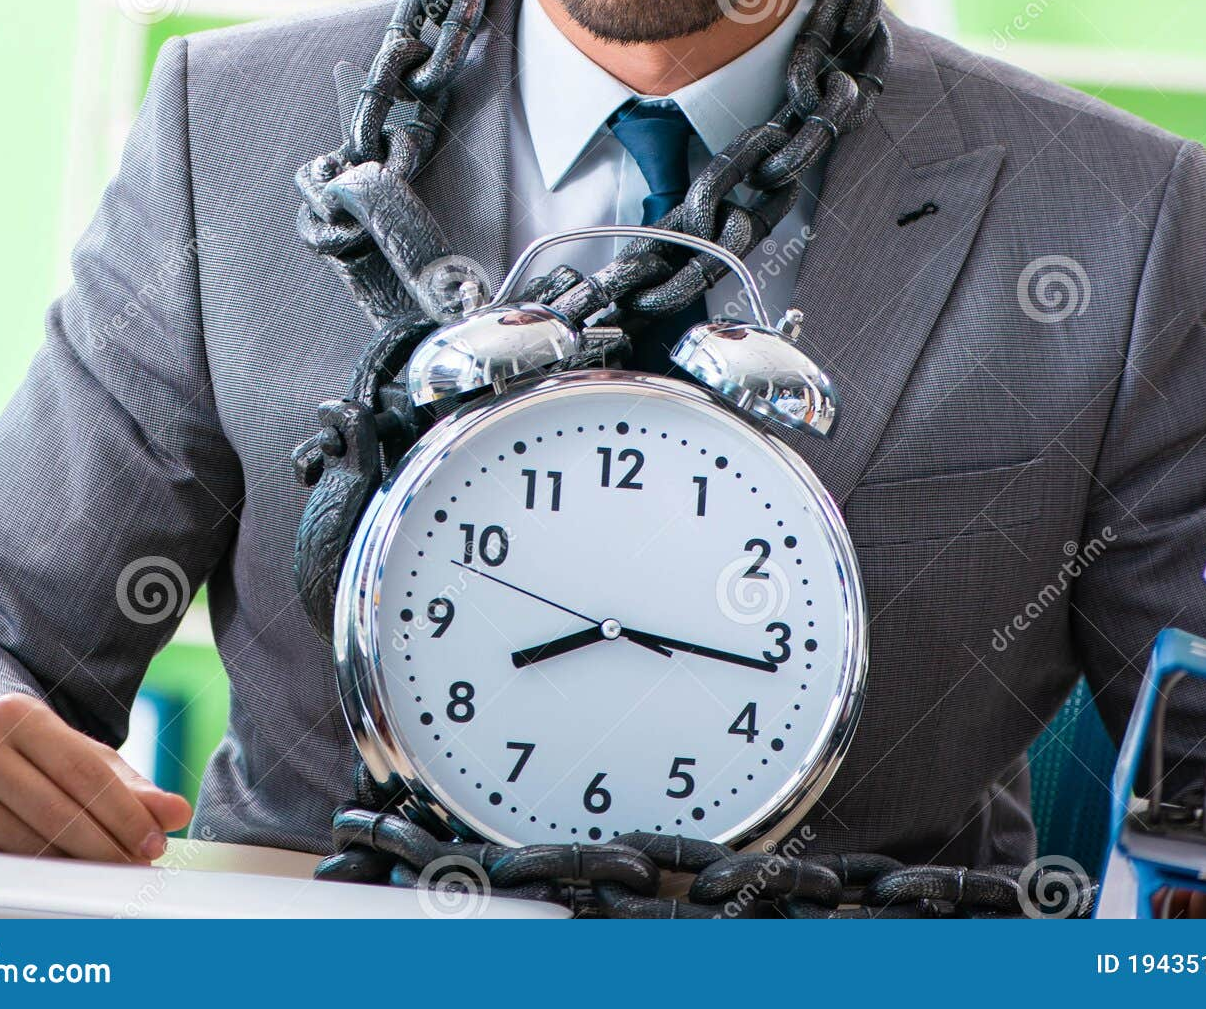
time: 8:16
